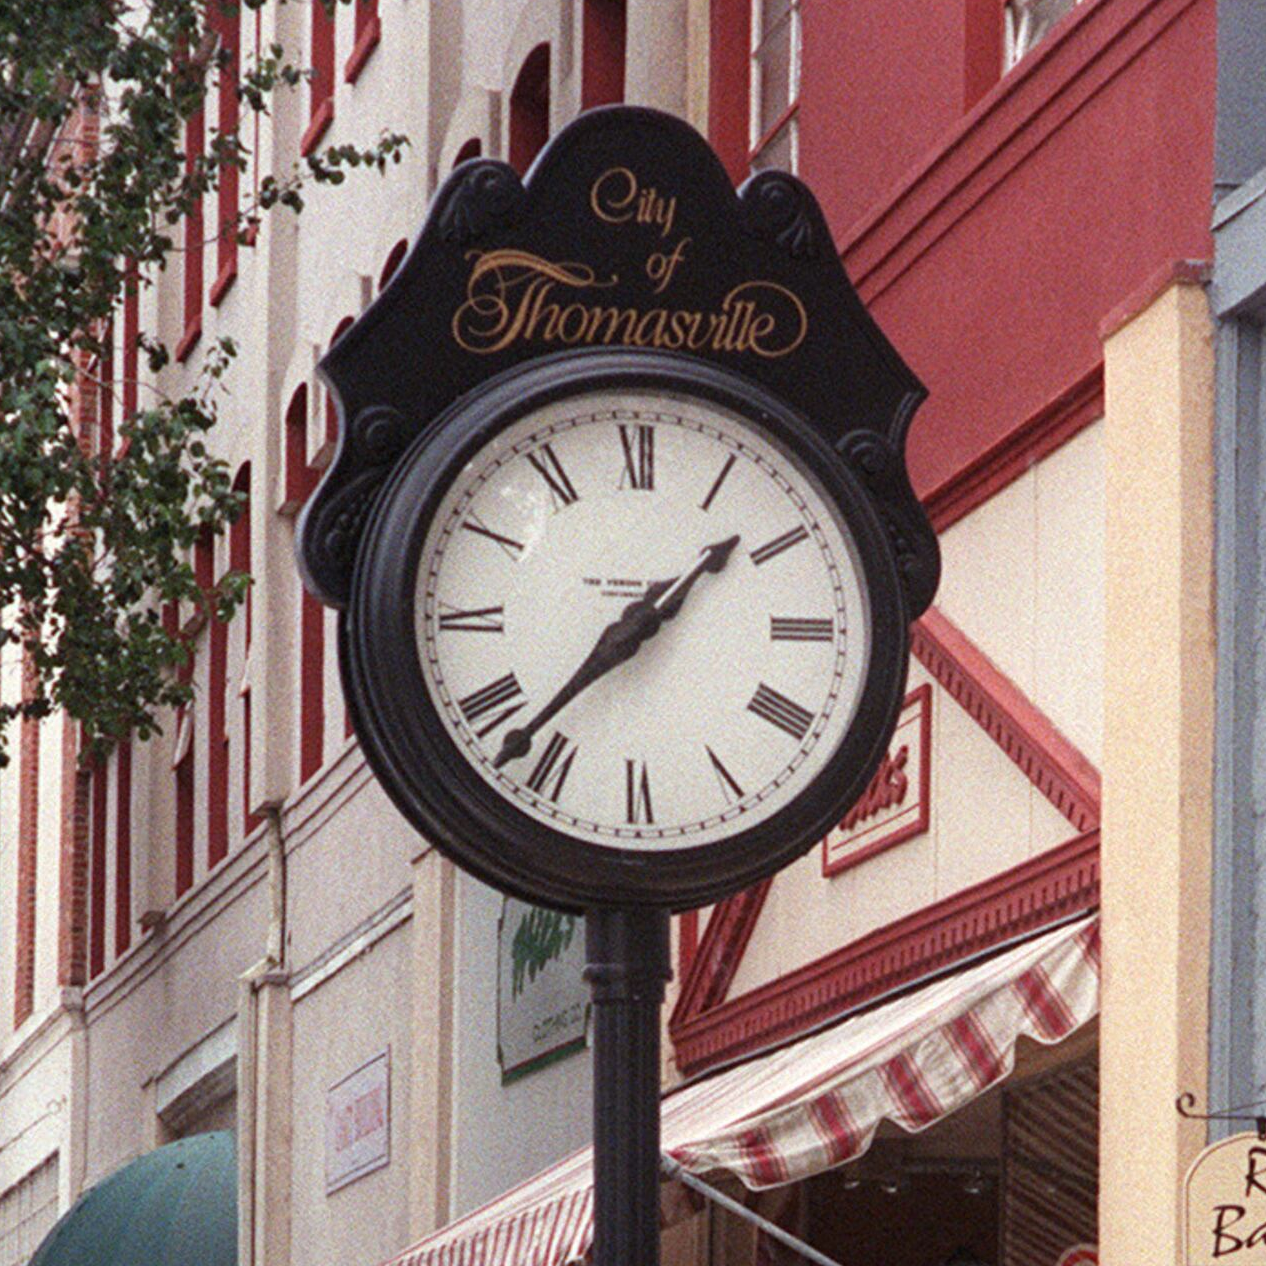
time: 1:37
